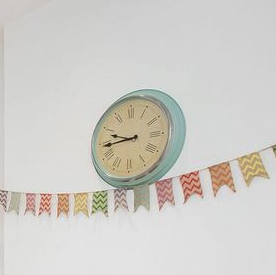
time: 9:44
